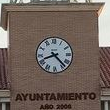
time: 8:23
